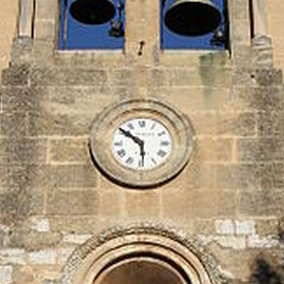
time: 5:51
